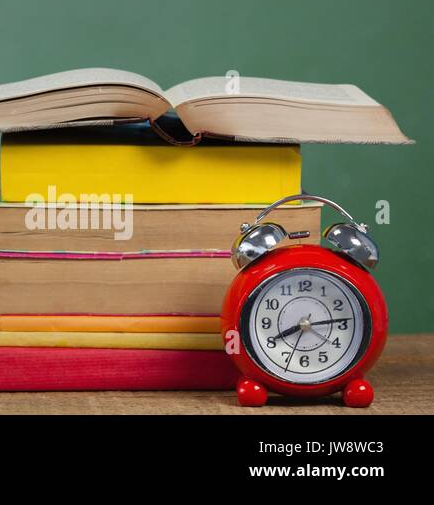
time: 8:13
